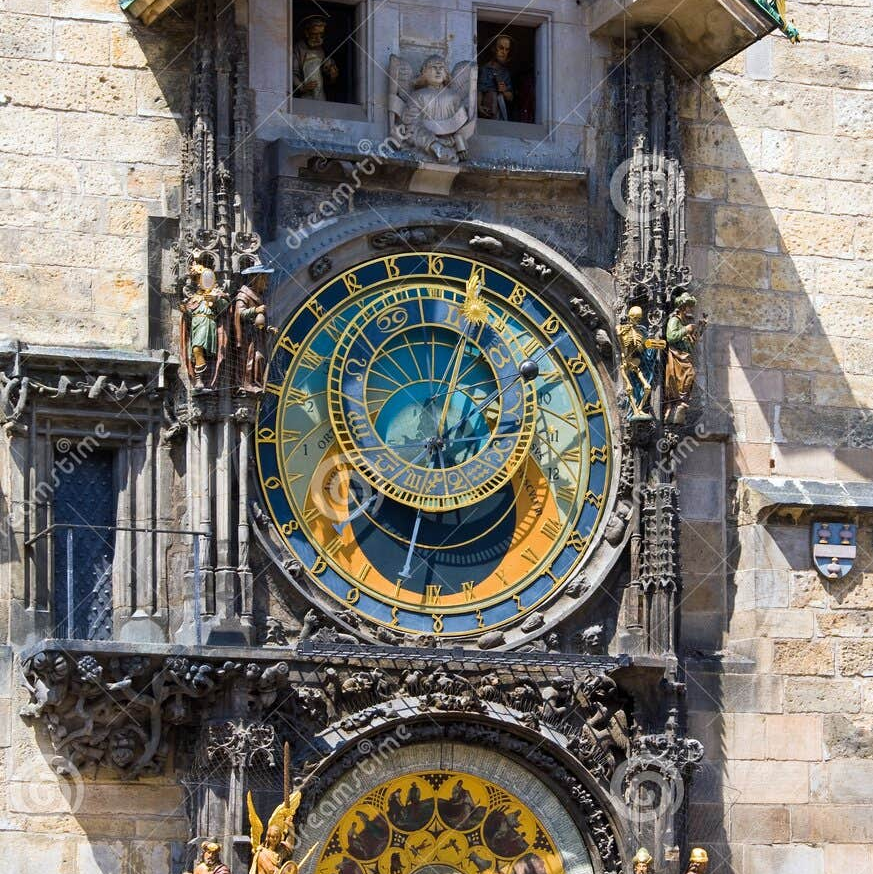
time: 6:02
